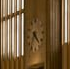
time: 4:35
